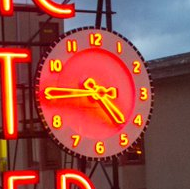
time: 4:44
